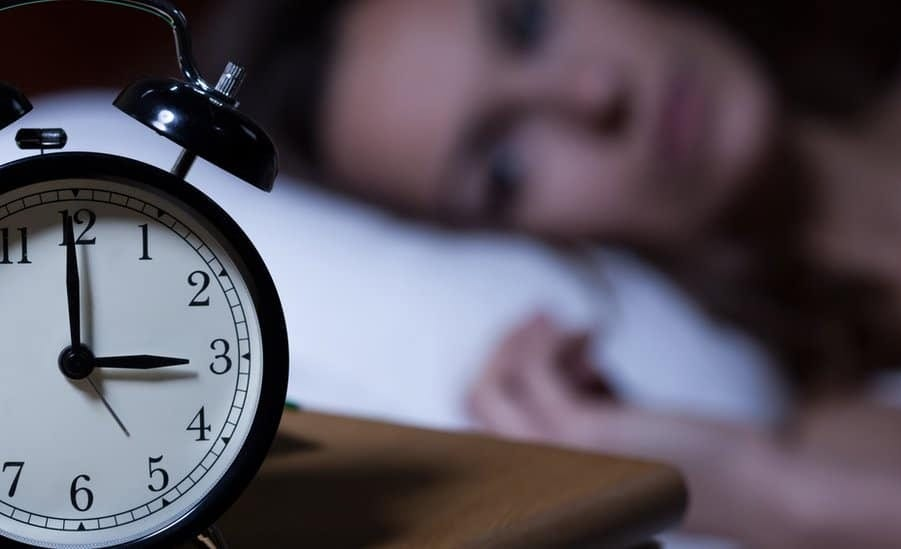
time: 2:59
